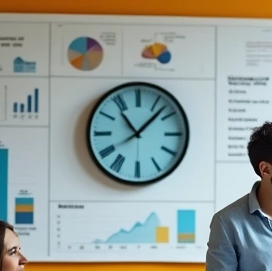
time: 11:07
